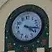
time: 4:16
